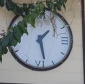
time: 1:28
